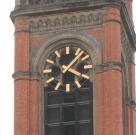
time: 1:18
